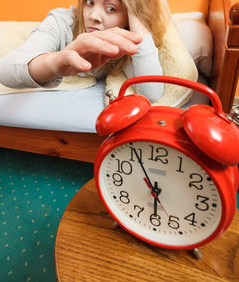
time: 5:55
